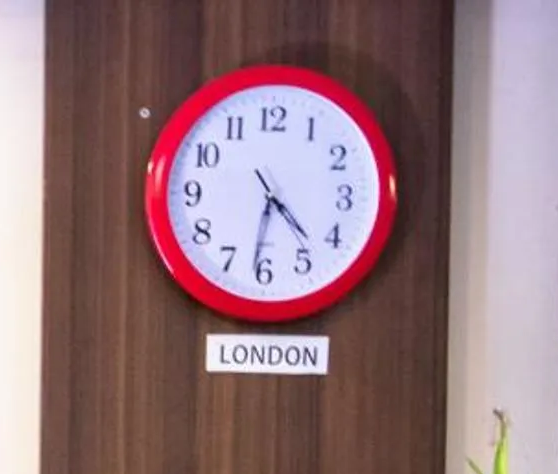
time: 4:31
